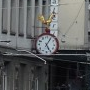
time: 5:05
